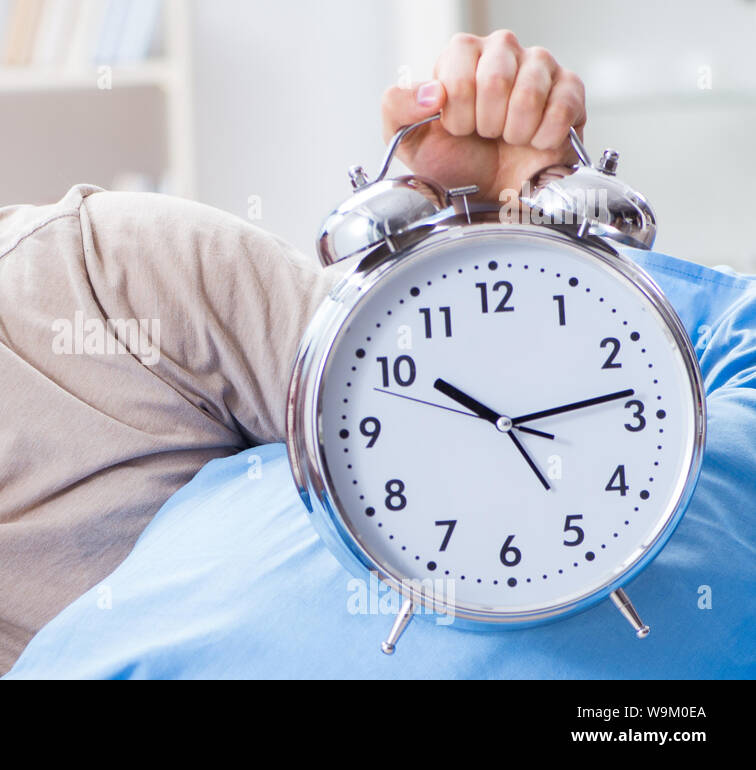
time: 10:13
